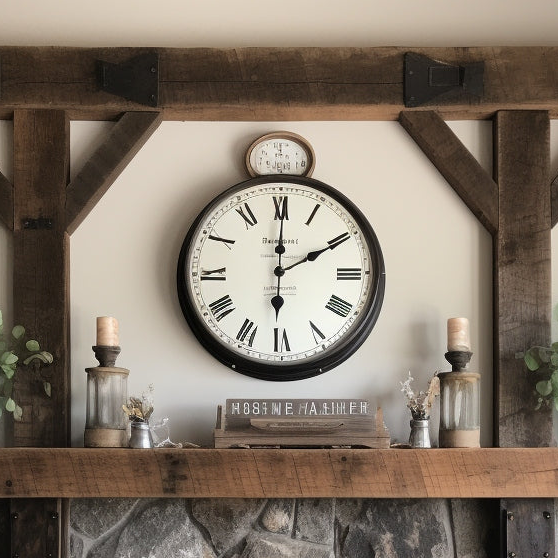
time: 2:00
